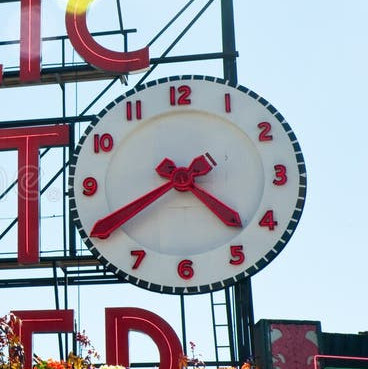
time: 4:40
